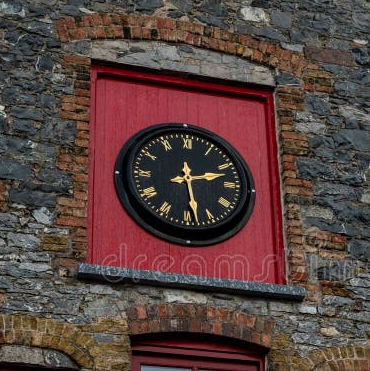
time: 2:28
